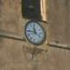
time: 11:45
